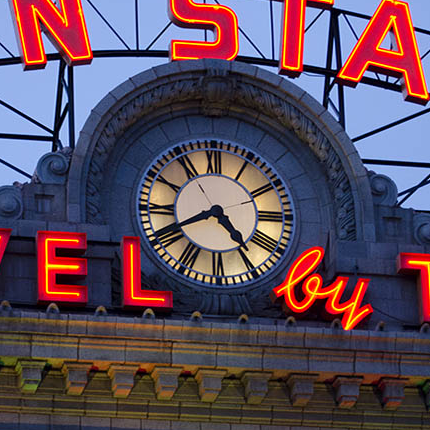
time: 4:40
